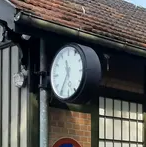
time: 11:35
